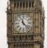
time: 11:22
